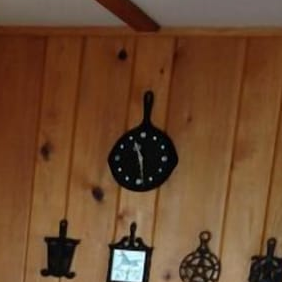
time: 11:28
